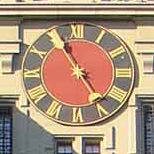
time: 4:55
